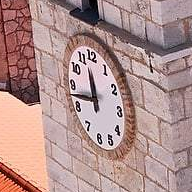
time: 11:42
